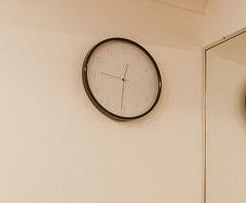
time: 12:30
